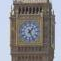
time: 1:26
